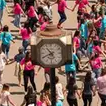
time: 10:40
